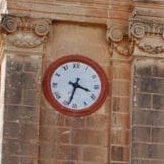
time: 3:33
